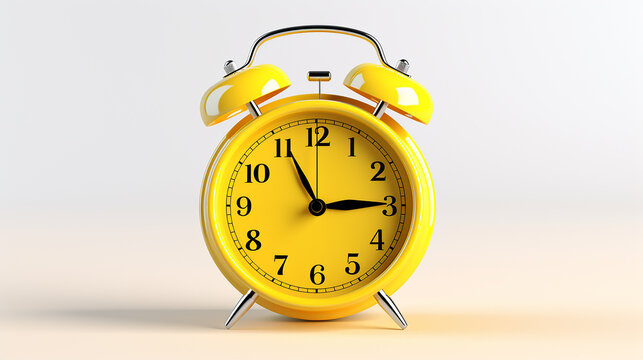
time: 11:14
